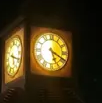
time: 5:19
